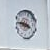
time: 3:46
